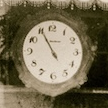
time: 10:55
